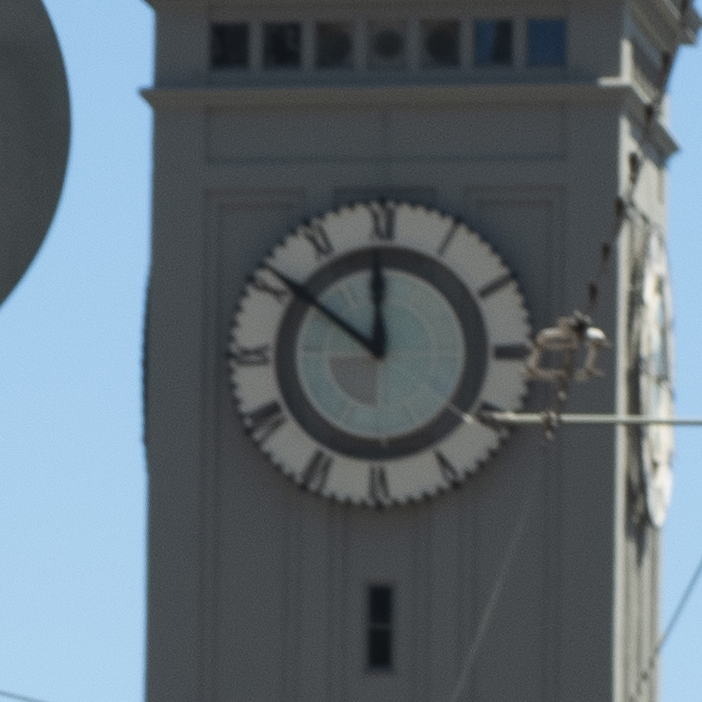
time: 11:51
